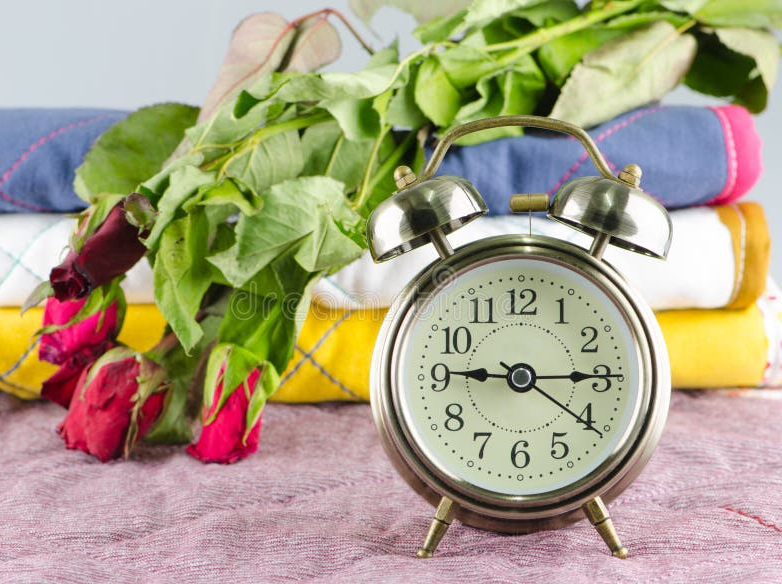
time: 9:14
